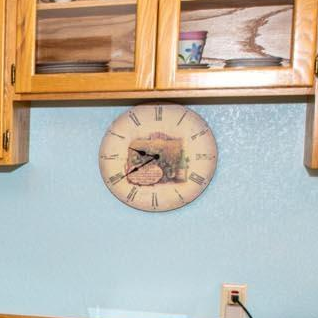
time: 9:39
